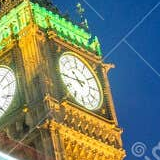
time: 10:45
